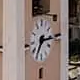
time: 7:15
